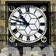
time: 10:47
